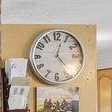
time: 5:03
